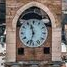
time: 11:32
